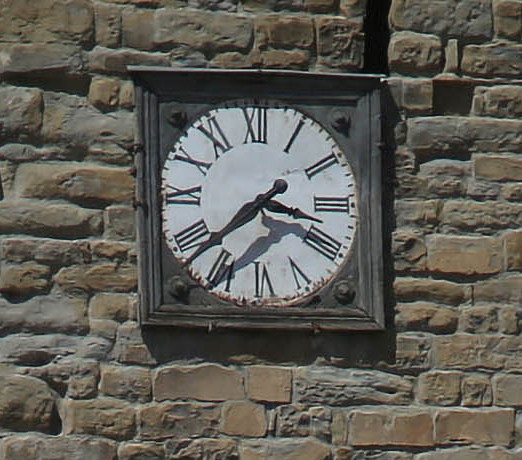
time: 3:38
